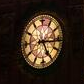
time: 5:15
